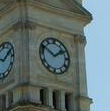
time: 1:50
